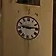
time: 9:13
